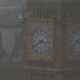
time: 3:40
